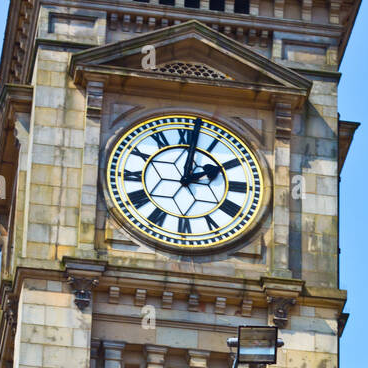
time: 2:01
